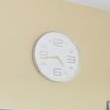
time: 4:43
